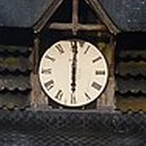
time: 6:00
